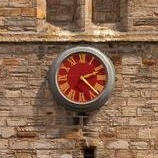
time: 2:22
